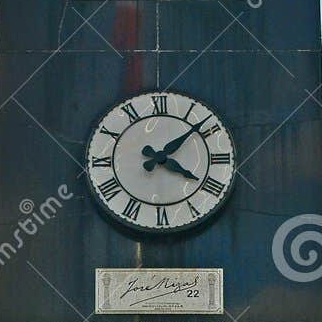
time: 4:08
